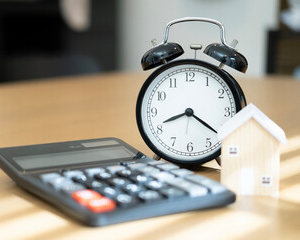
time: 8:20
